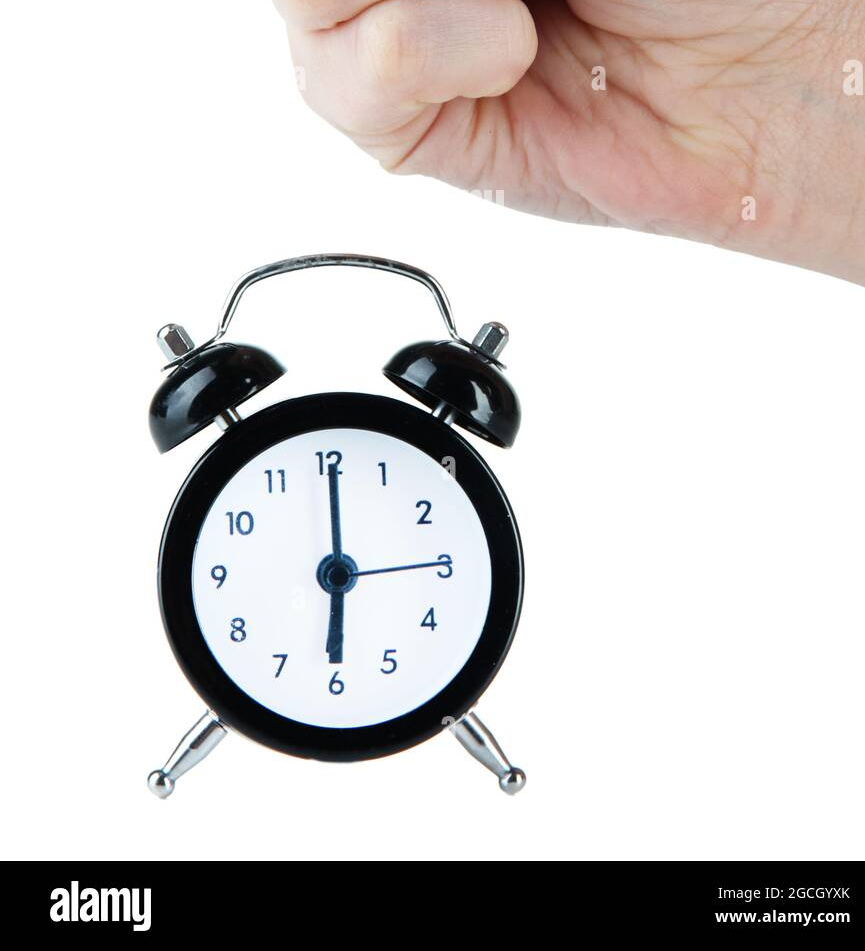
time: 6:00
